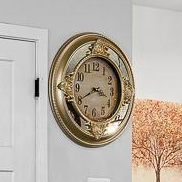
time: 3:40
